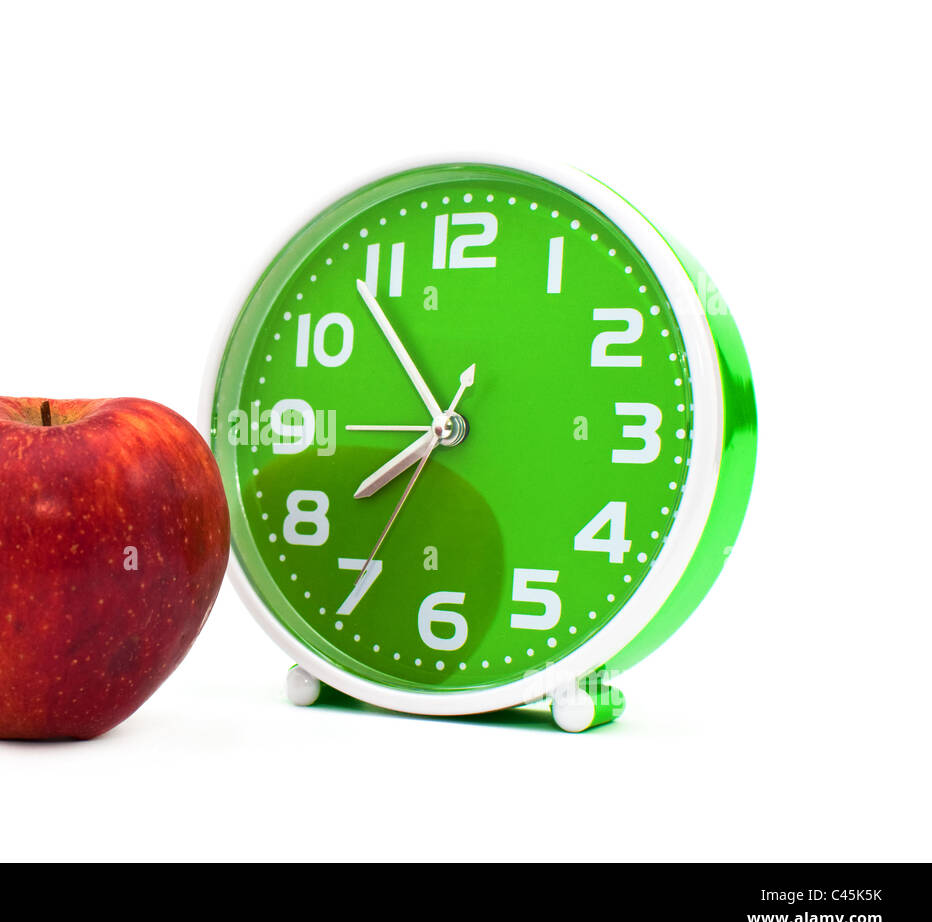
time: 7:53
